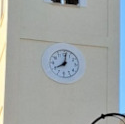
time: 8:01
